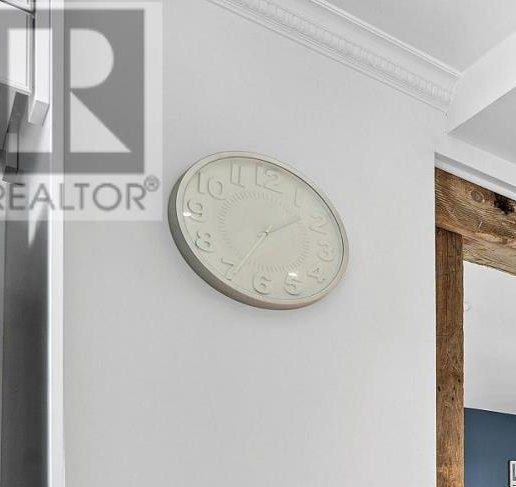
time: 1:34
